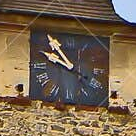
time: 9:53
